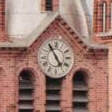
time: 4:54
